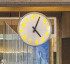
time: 5:05
